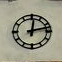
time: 12:12
